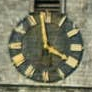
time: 3:58
